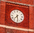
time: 7:28
